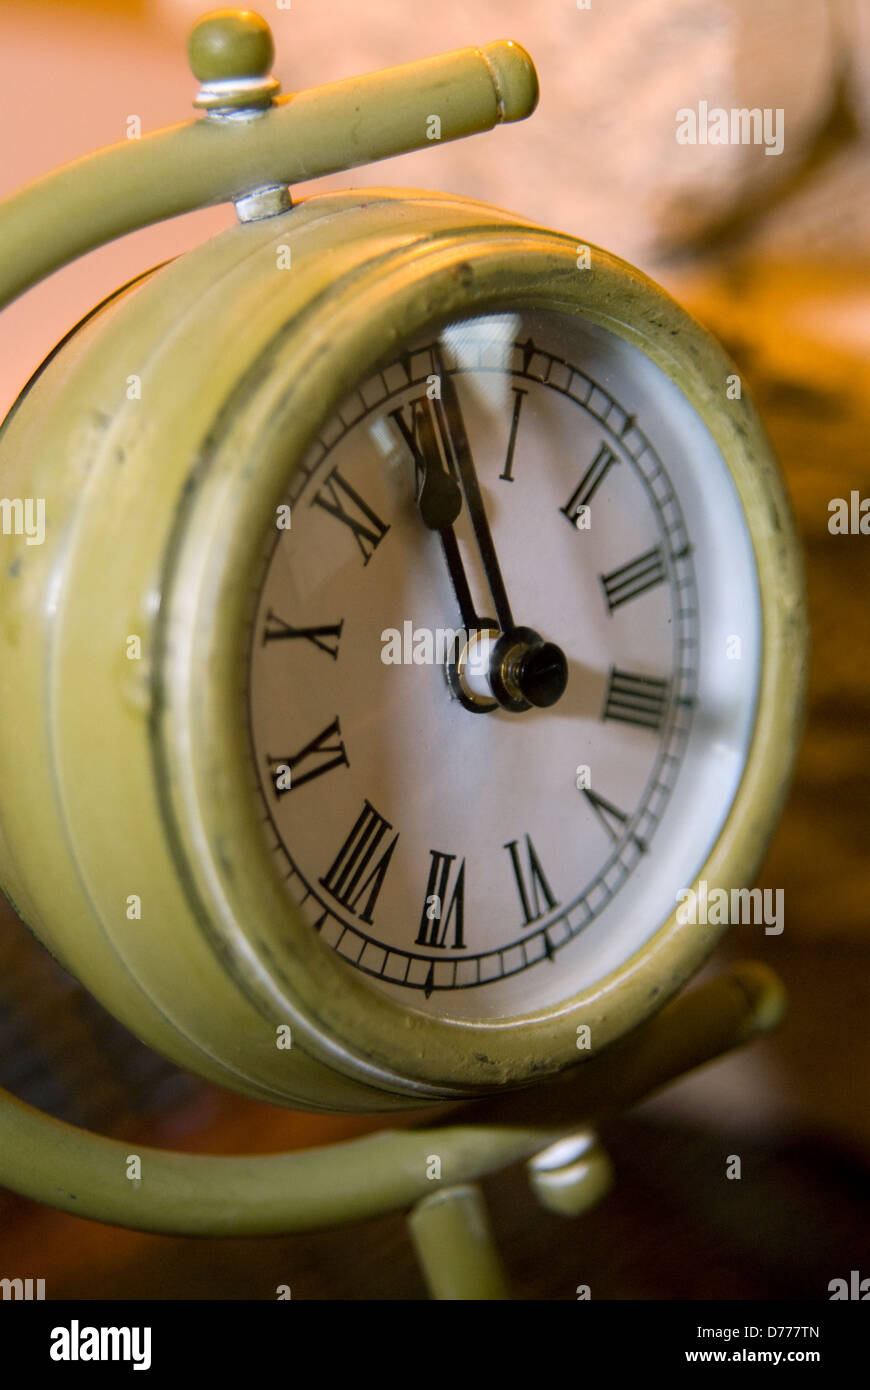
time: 2:54
